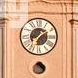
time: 7:09
